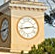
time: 2:43
